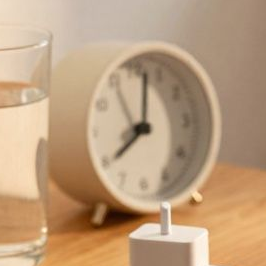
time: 8:01
